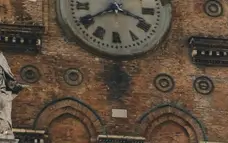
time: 3:40
